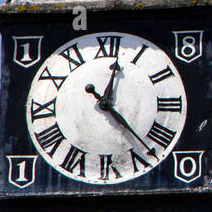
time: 12:22
